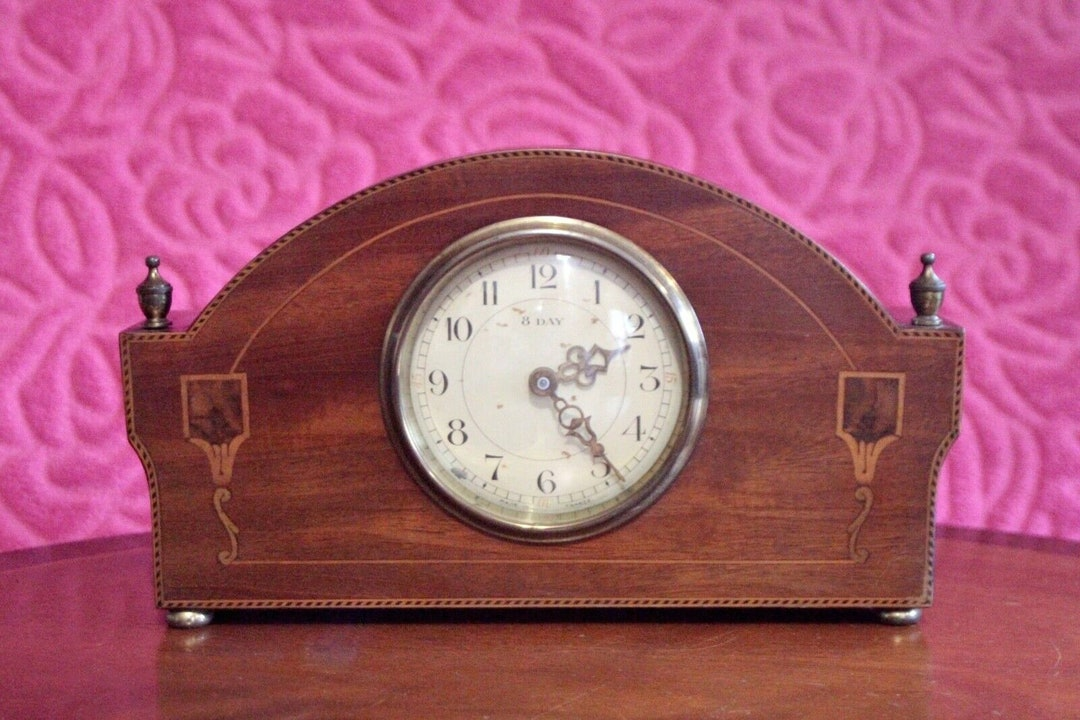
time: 2:23
